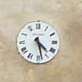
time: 4:28
